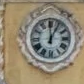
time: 12:05
